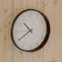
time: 10:39
